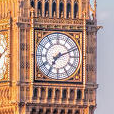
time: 7:11
